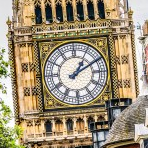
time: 1:10
